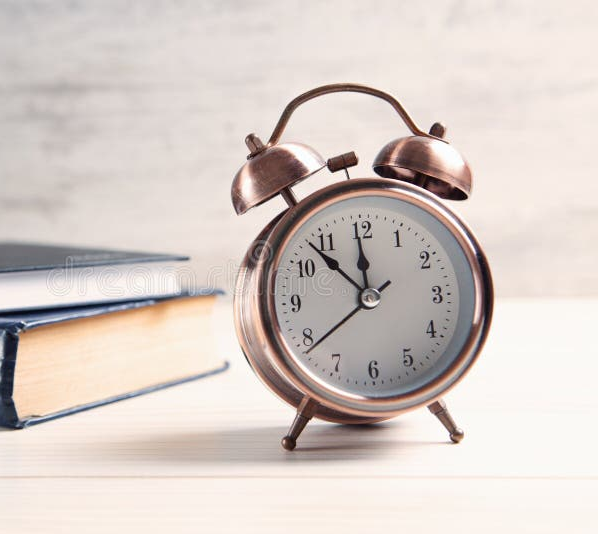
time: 11:52
